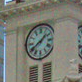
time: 1:39
